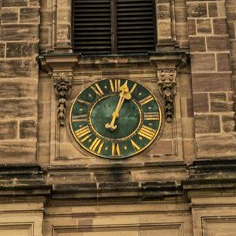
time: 1:03
